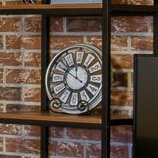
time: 11:50
